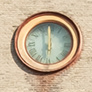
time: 5:59
